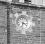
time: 3:32
